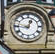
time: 12:45
